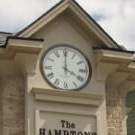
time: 4:00
